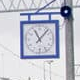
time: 11:07
